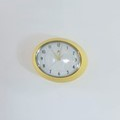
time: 3:01
